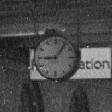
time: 9:07
